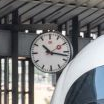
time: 10:17
